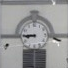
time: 8:45
